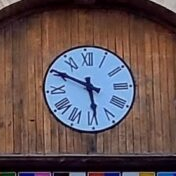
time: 5:49
